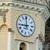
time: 8:59
